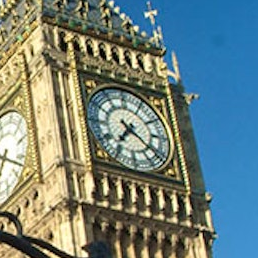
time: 7:21
